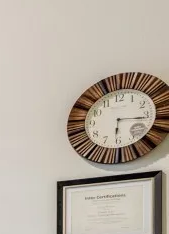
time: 6:15
